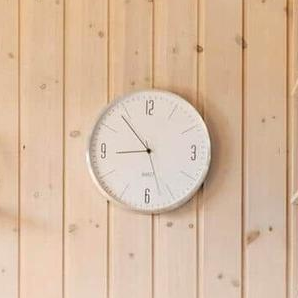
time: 8:53
